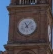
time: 11:07
